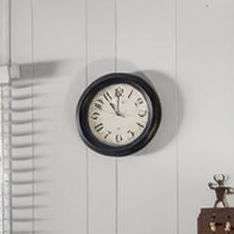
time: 11:00
